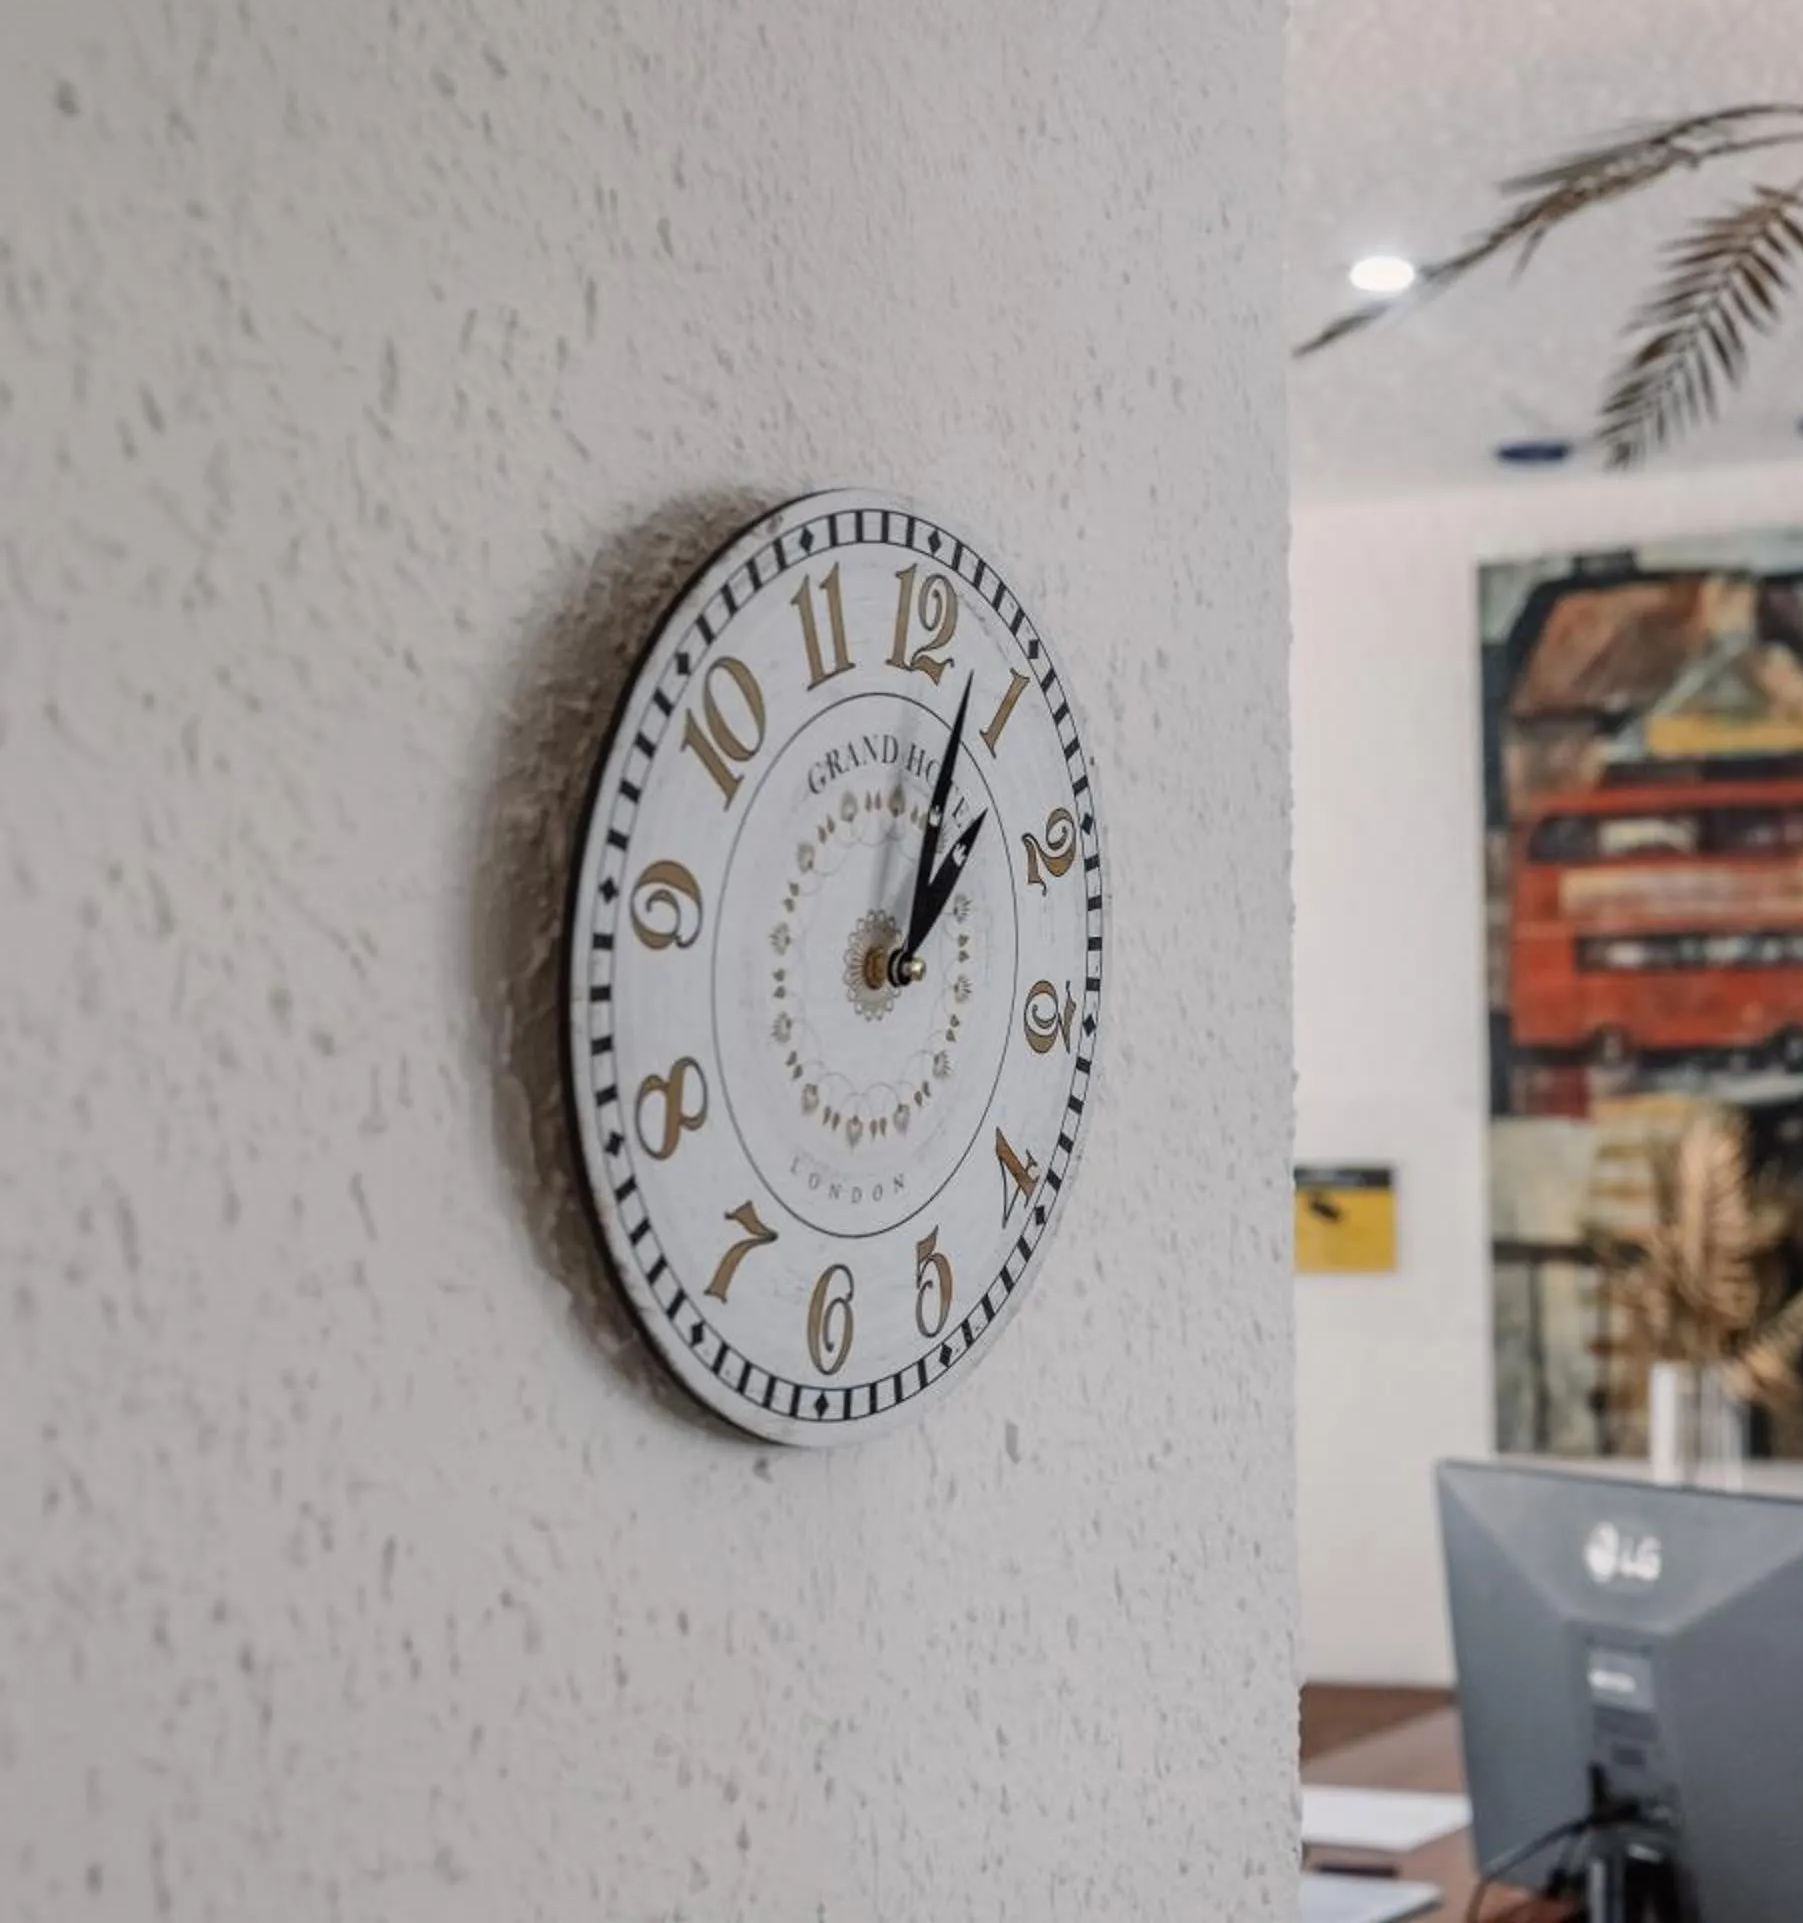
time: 1:02
